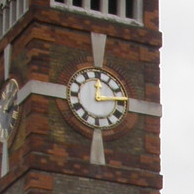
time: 12:13
